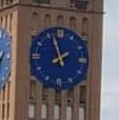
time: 1:57
